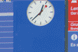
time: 12:37
